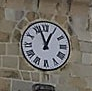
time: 12:56
